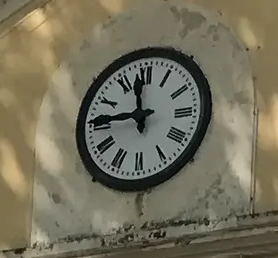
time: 11:45
